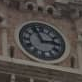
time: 2:56
